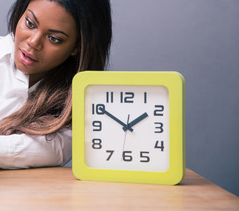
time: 1:50
